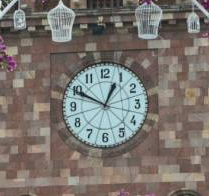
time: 12:49
